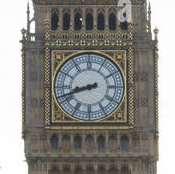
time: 8:41
